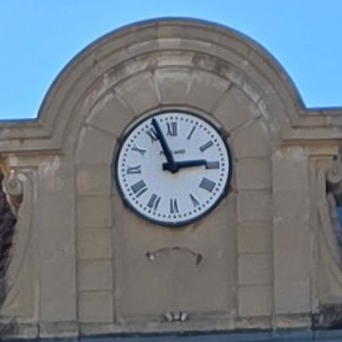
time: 2:56
